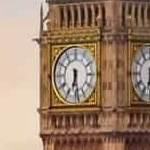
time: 6:28
